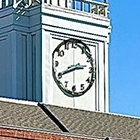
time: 2:40
